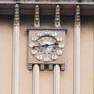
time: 8:12
